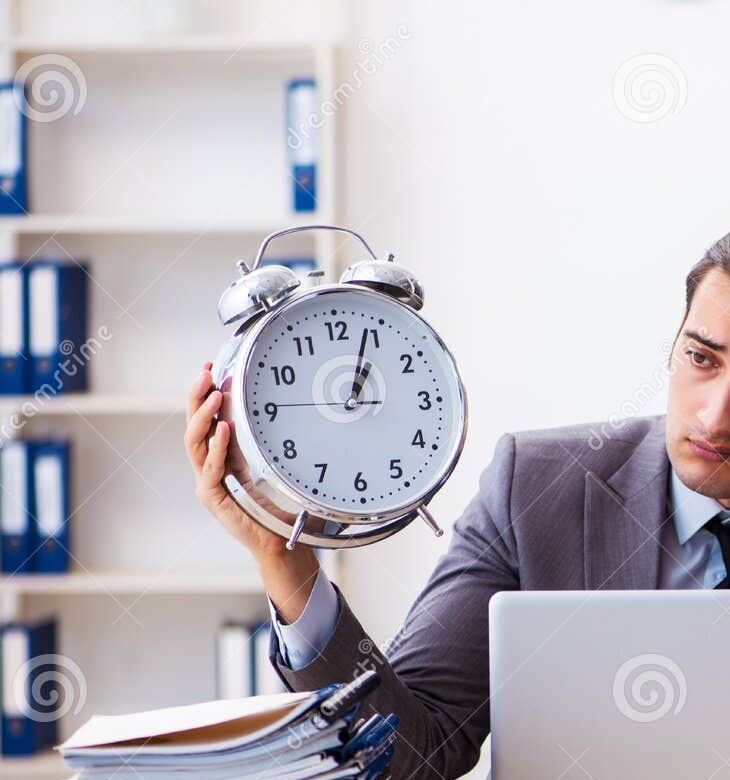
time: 1:03
